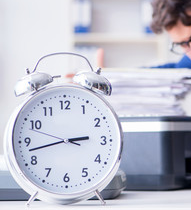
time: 2:42
